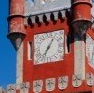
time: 7:05
